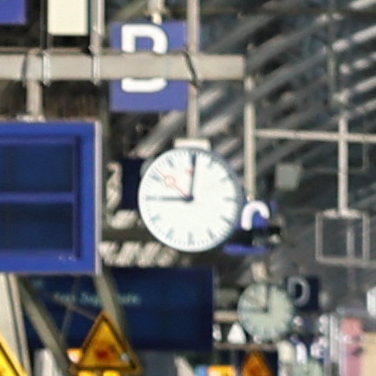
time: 9:01
